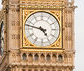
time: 4:47
